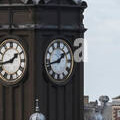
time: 1:42
